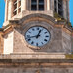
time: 12:42
